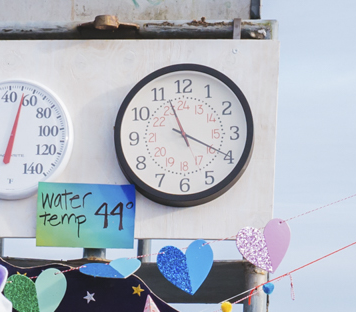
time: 11:19
